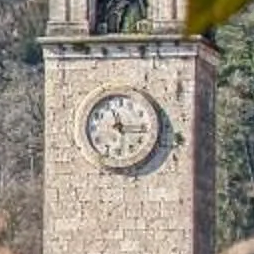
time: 11:15
